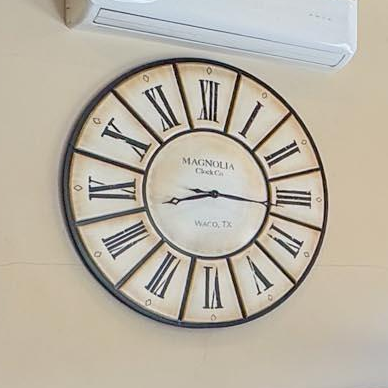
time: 8:16
